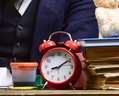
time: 8:09
